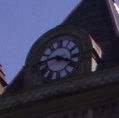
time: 3:43
